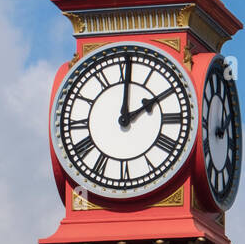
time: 2:00
